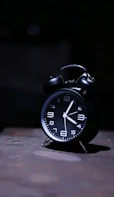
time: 4:04
